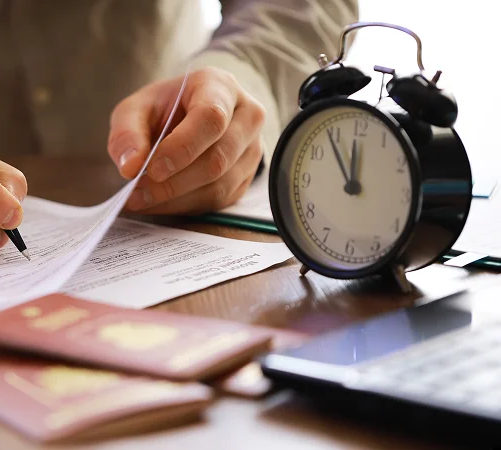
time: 11:54
